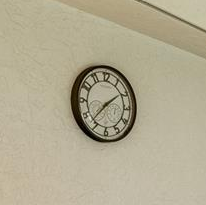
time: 1:36
